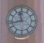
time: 11:42
